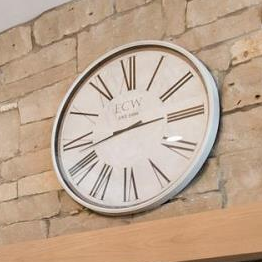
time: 2:42
